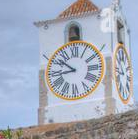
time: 8:51
